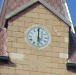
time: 6:00
